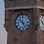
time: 4:50
